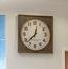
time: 12:37
